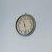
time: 11:28
